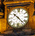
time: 10:23
